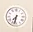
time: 7:32
